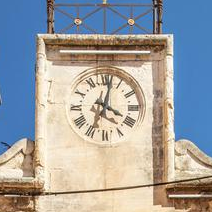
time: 4:02
